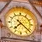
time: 7:21
